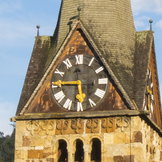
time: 5:45
